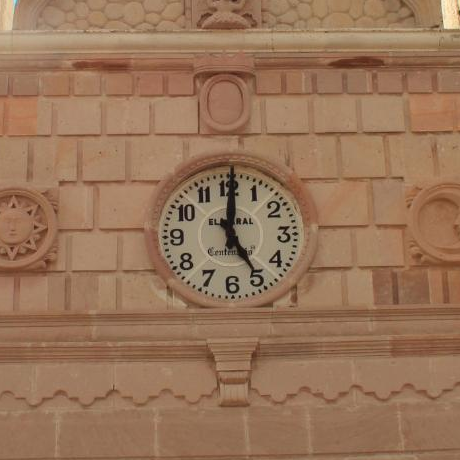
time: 5:00
